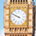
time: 9:49
